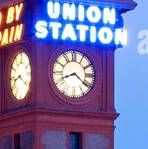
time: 8:21
